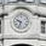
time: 9:33
